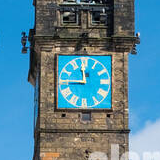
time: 11:45
